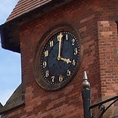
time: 4:01
